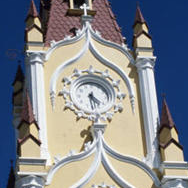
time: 4:29
